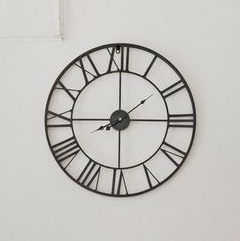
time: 2:00
